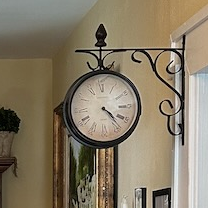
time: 4:23
